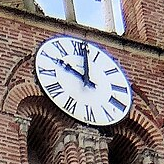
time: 10:01
